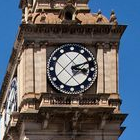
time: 3:11
